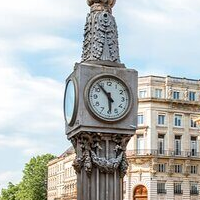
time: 5:53
